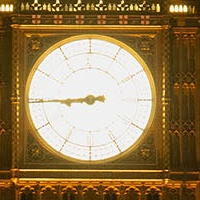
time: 8:44
